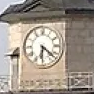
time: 6:21
